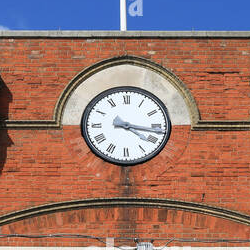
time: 4:17
